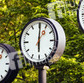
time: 6:00
